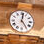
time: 12:24
